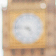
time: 4:46
